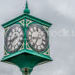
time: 8:34
